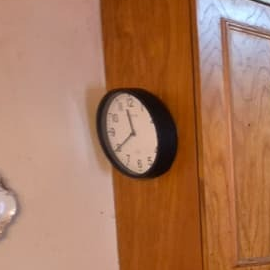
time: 11:39
